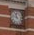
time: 11:46
